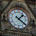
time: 1:21
